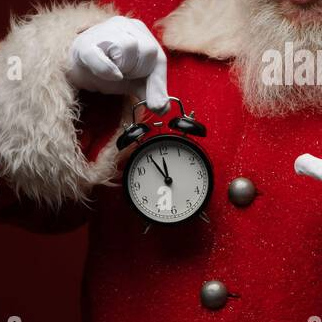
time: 11:55
